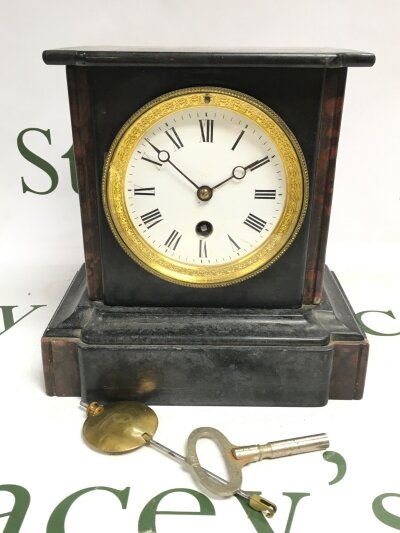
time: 1:51
